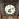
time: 7:12
